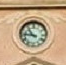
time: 10:46
